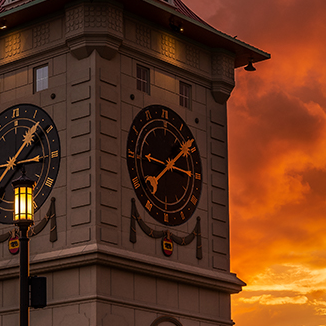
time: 1:46
